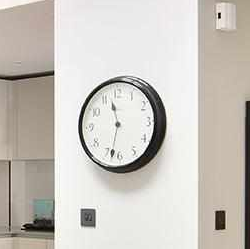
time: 11:32
